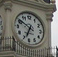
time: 6:50
